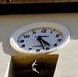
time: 4:26
